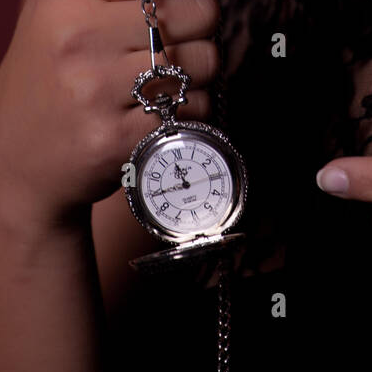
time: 11:44
